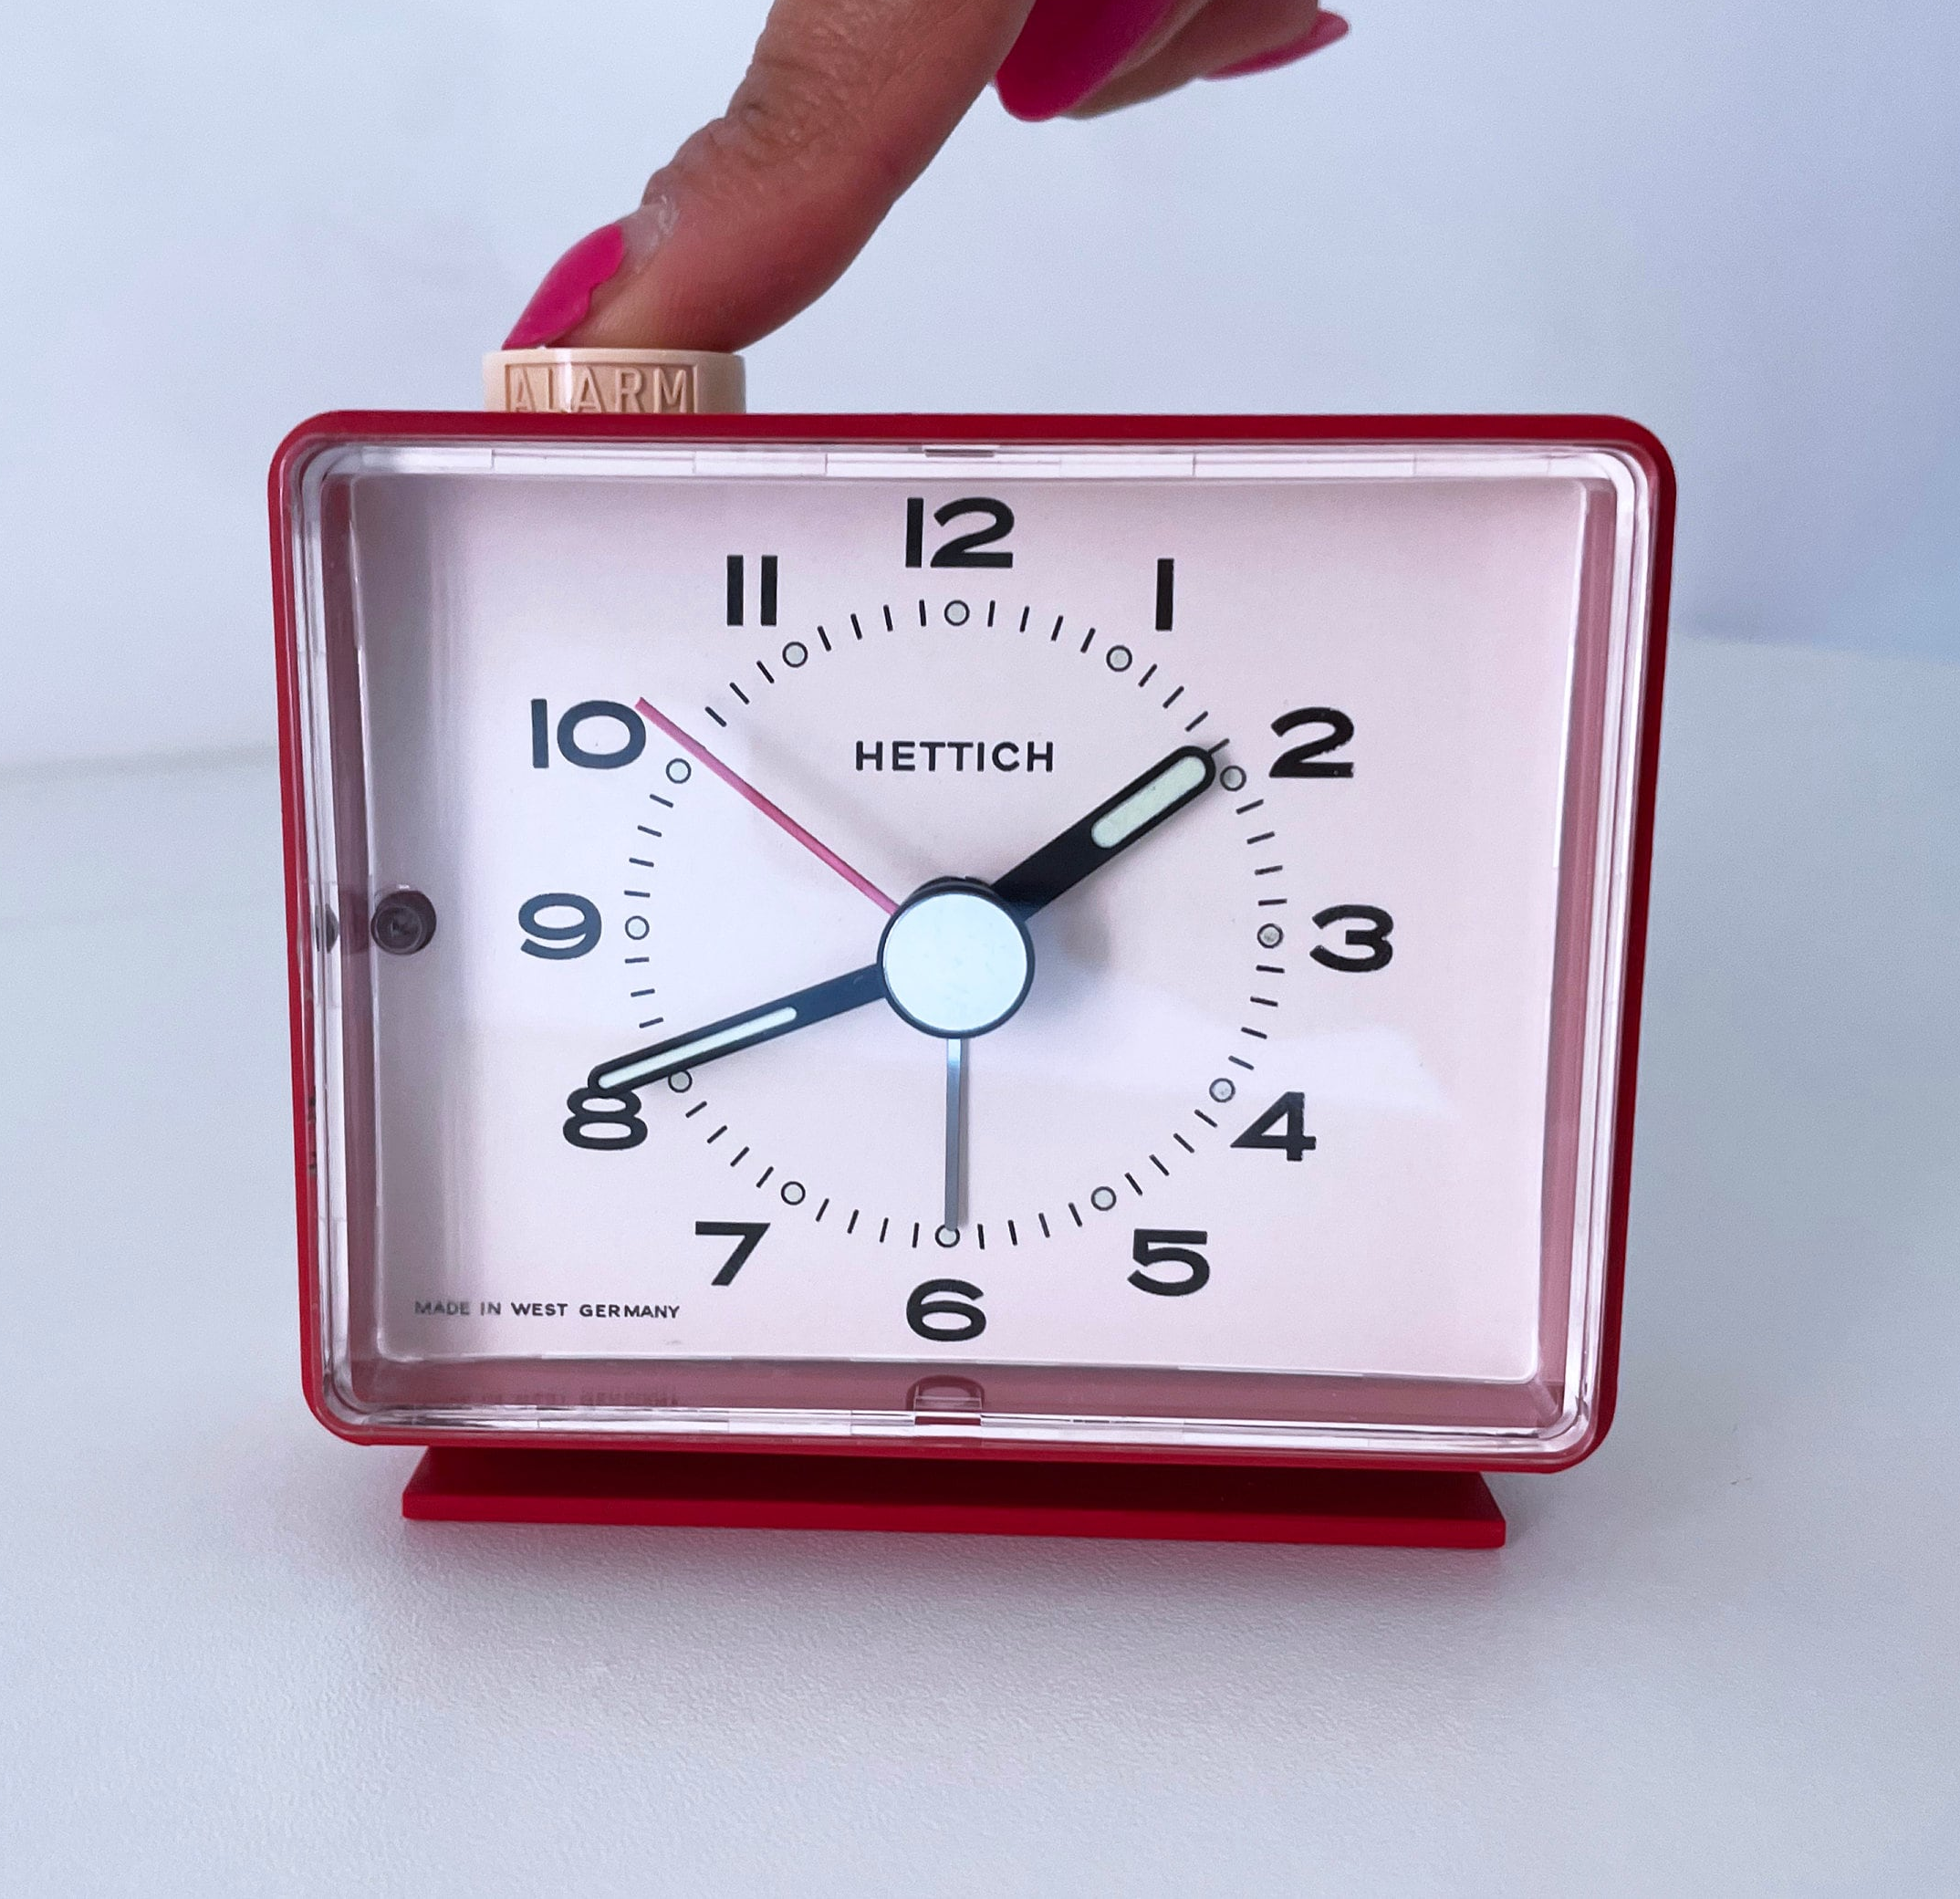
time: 1:40
